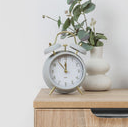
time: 11:53
